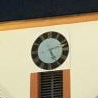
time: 5:12
